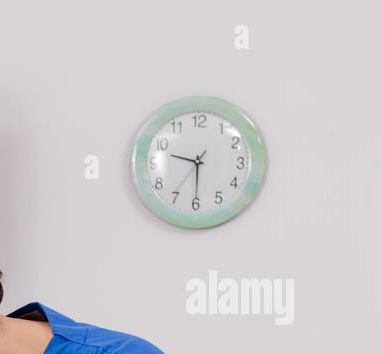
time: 9:30
